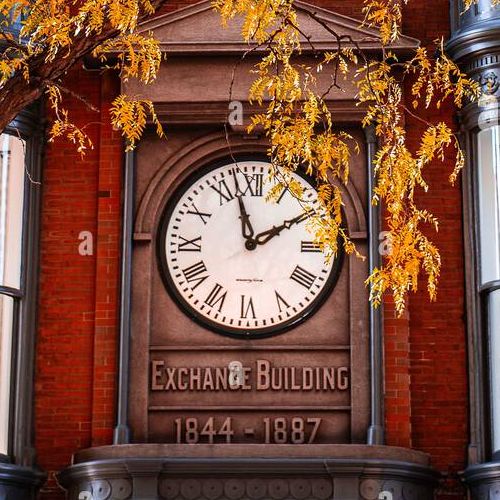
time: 1:57
